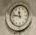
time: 11:46
